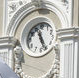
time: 11:25
